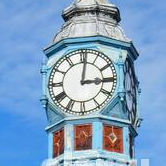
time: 3:01
